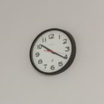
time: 10:20
